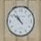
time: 10:52
